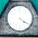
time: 4:20
